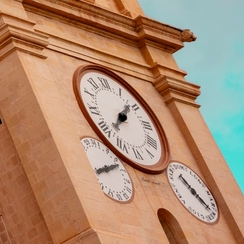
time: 1:38
